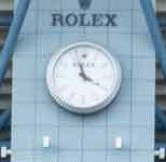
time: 3:57
